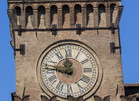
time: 11:46
